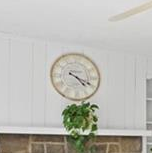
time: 4:18
